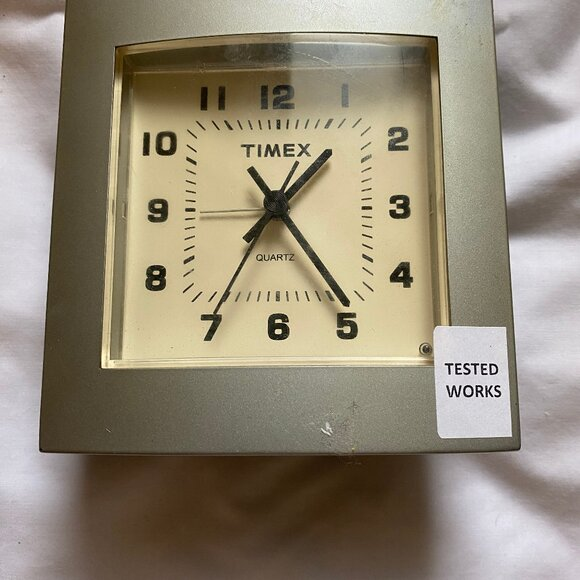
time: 1:23
